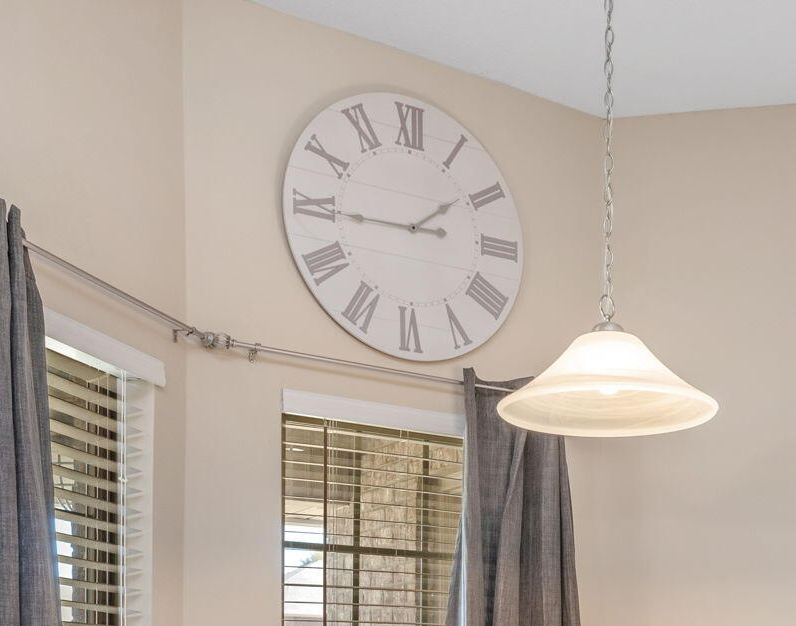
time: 1:44
